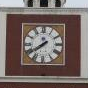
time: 7:39
